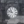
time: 10:47
